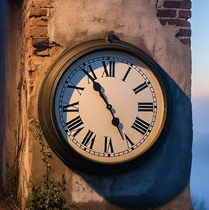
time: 4:54
